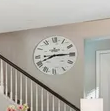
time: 8:14
